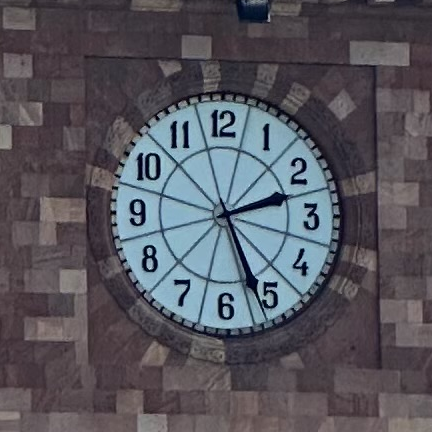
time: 2:26
